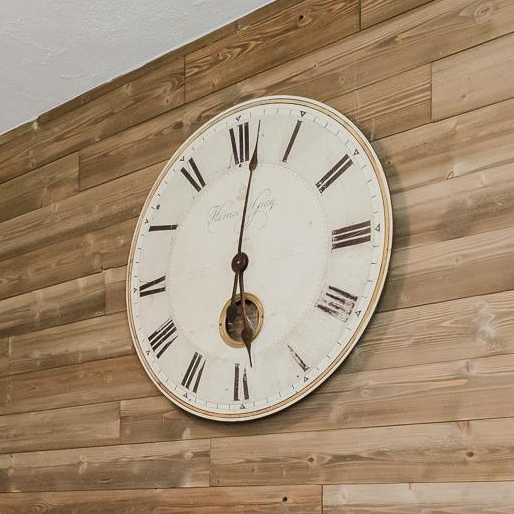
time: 6:01
